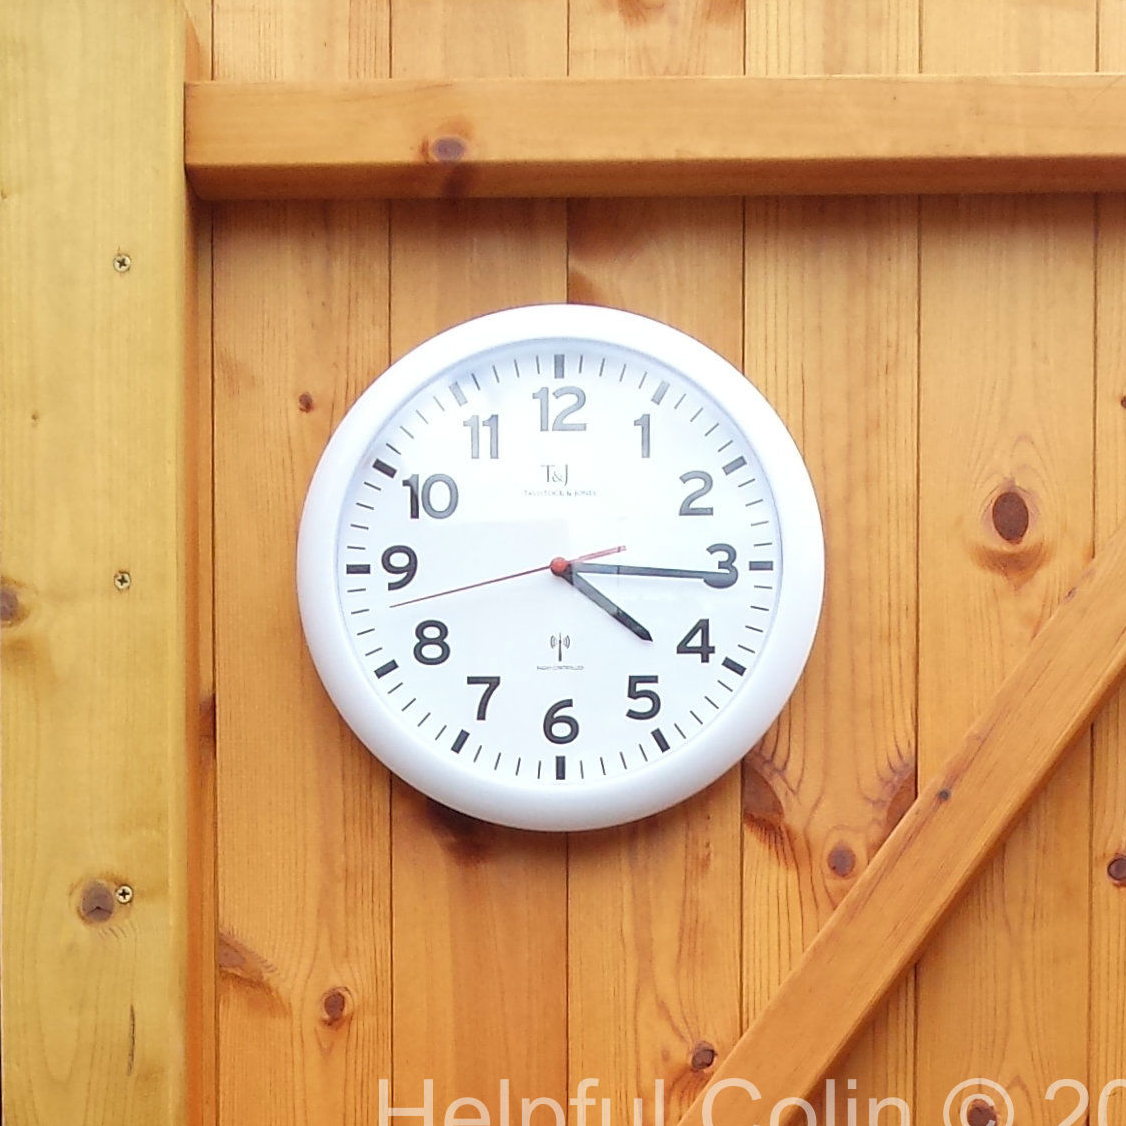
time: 4:15
